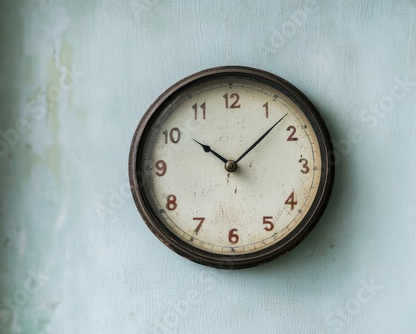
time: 10:07
